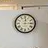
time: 12:14
